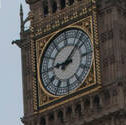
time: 9:07
